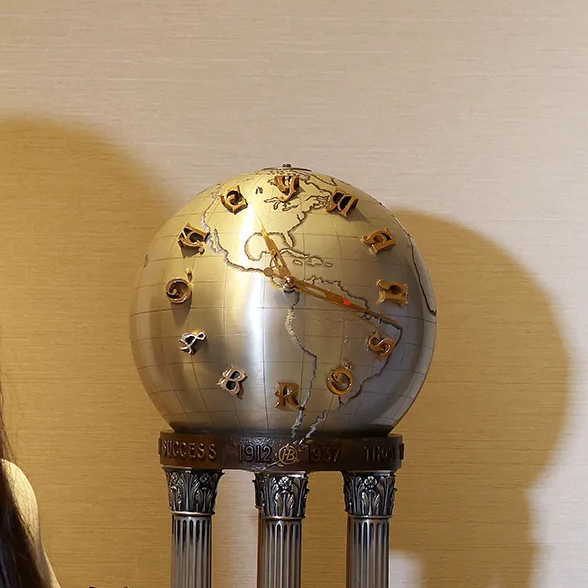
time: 11:18
